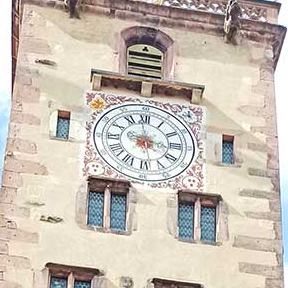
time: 2:58
